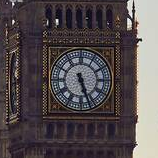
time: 5:26
